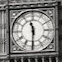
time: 11:30
